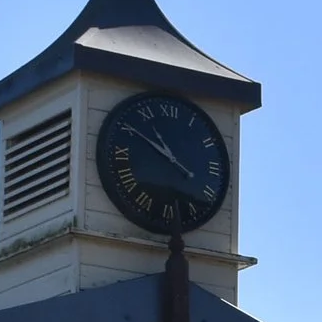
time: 10:50
